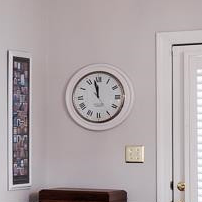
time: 11:57
